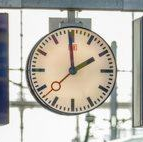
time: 1:59
